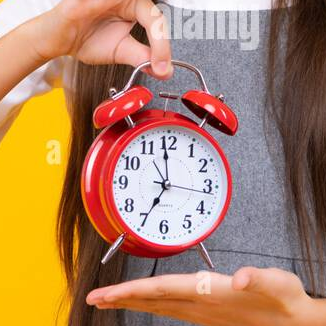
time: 6:59
